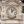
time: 12:07
